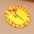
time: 11:21
